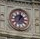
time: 1:01
